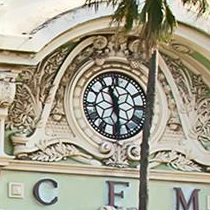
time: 11:28
